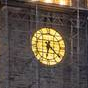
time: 6:21
